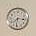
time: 7:31
